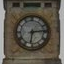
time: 6:14
